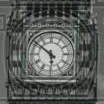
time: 5:51
